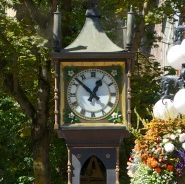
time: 12:52
